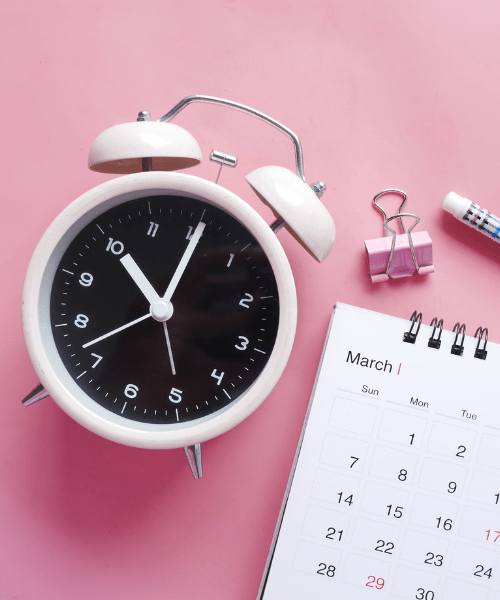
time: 11:05
